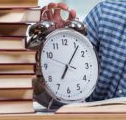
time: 7:06
